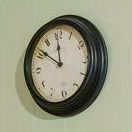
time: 11:51
